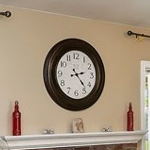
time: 2:23
